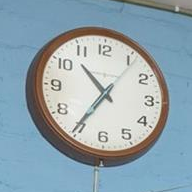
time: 10:35
